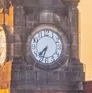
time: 7:33
